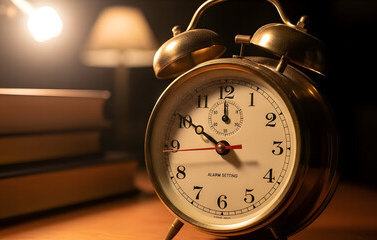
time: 11:50
